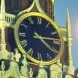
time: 4:13
